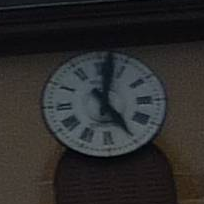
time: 5:01
